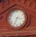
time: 3:34
